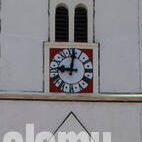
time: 9:01
